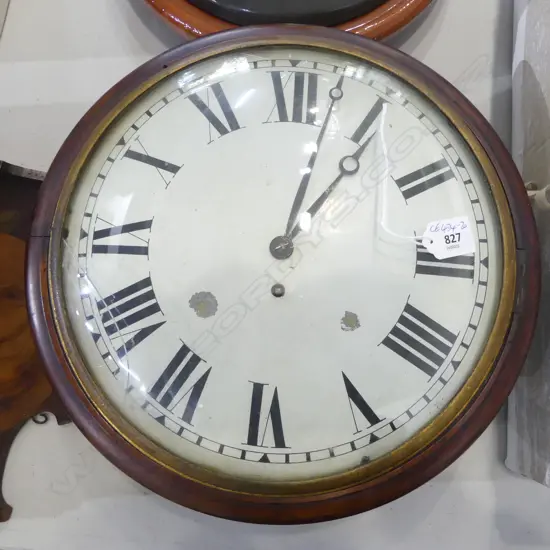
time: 1:02
